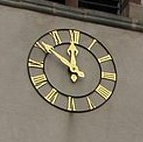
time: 11:51
